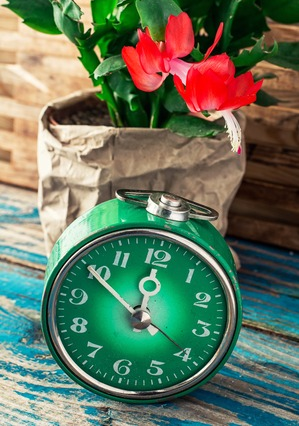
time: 11:49
